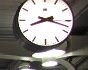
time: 8:17
